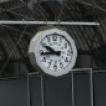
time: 9:43
